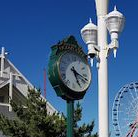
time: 5:18
